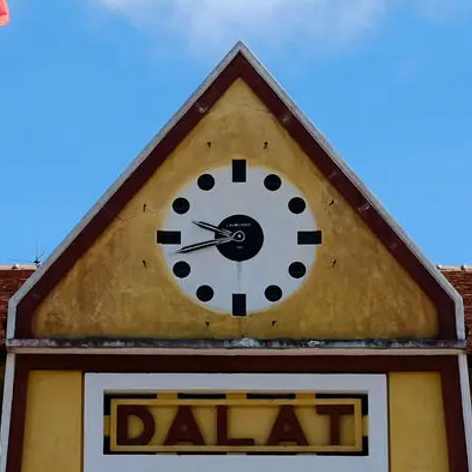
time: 9:42
